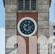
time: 12:08
